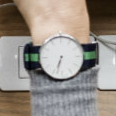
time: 6:32
